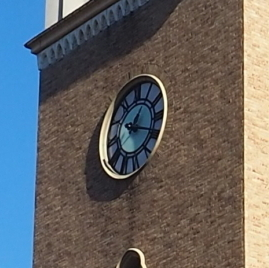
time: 1:18
